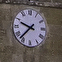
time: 9:37
